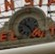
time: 10:24
